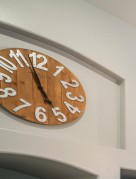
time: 4:57
